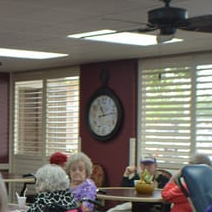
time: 11:13
